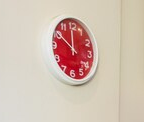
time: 11:50
